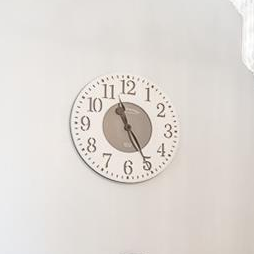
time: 11:25
